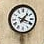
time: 1:18
